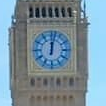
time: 12:01
